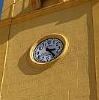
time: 3:23
